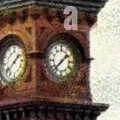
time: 1:37
